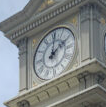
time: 2:01
